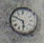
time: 5:49
